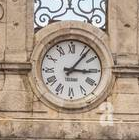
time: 3:06
